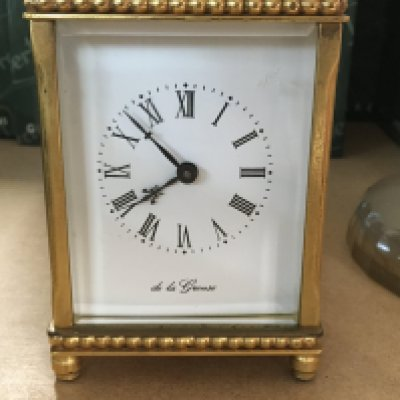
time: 7:52
